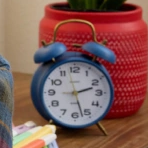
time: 2:27
